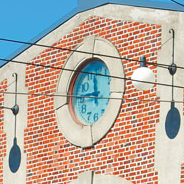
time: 11:45
